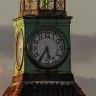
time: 5:35
